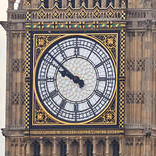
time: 9:51
